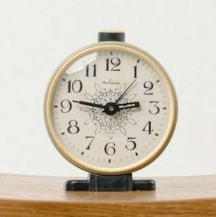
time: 2:46
